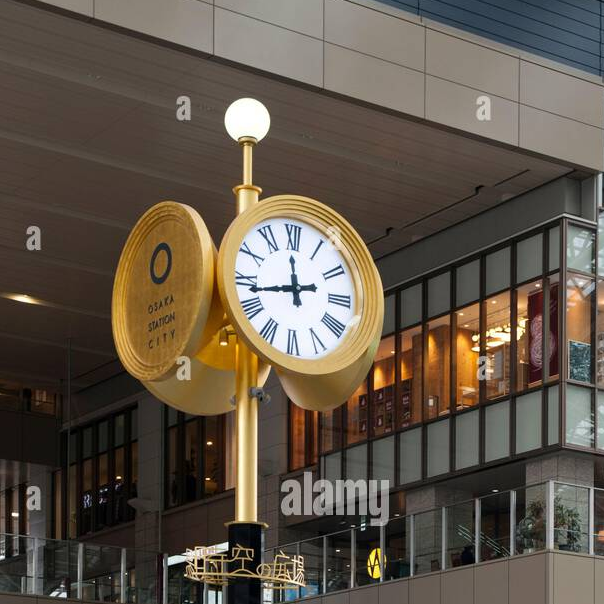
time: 11:43
